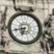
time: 6:41
